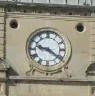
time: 9:21
